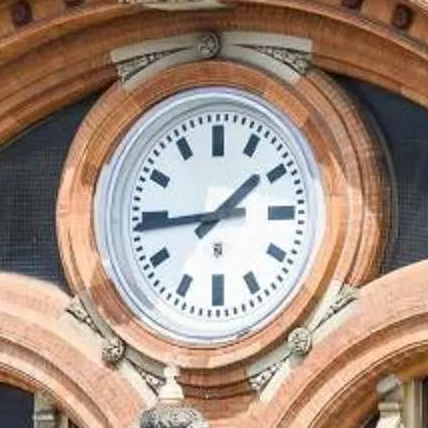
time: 1:44
